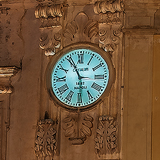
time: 5:55
